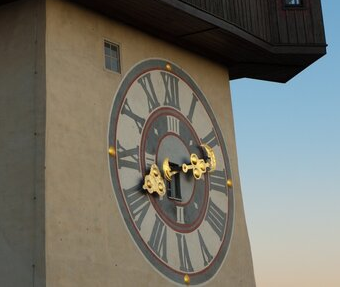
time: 6:13
